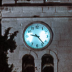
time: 9:23
